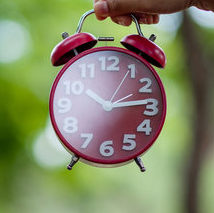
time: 10:13
